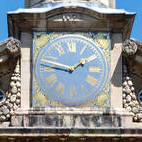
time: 1:47
